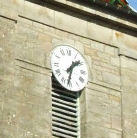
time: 1:32
